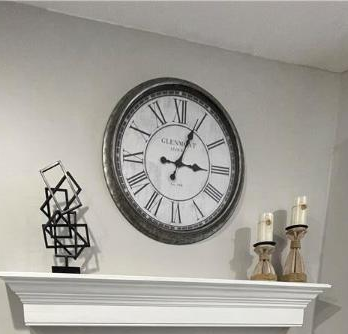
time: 3:04
